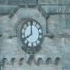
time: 7:59
